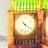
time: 4:21
